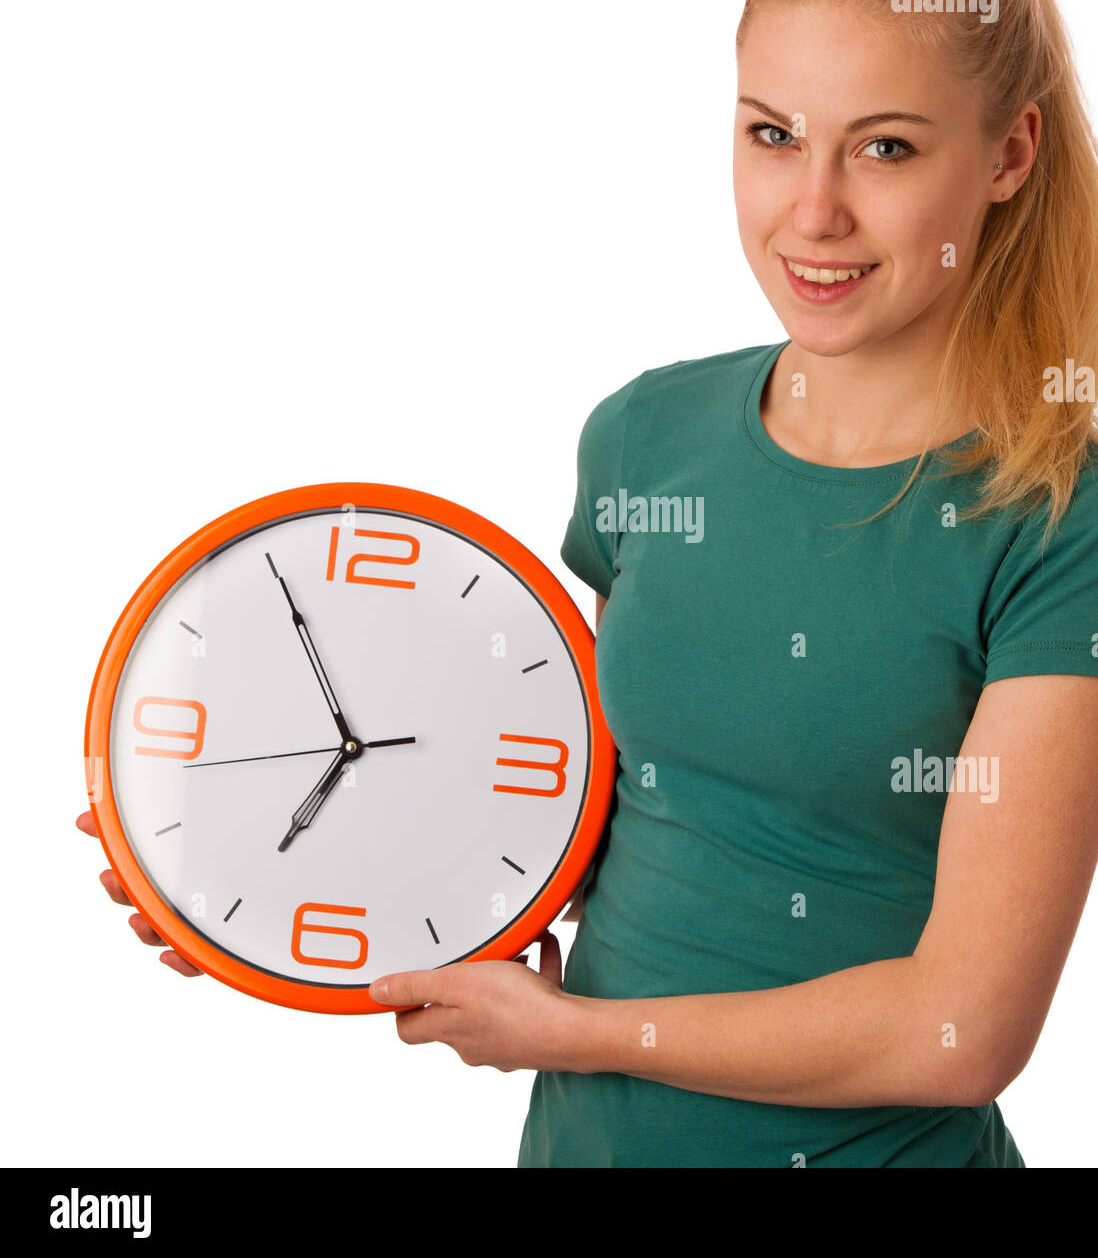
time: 6:55
